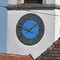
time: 1:47
